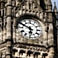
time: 5:49
